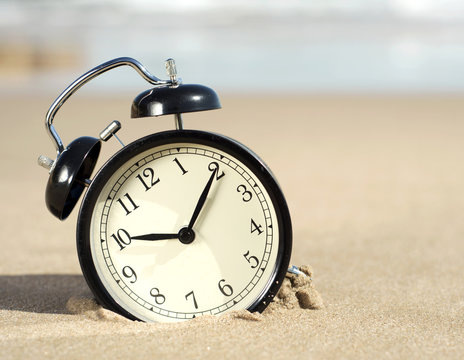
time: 9:05
